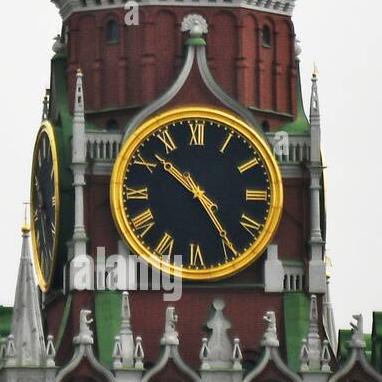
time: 10:24
